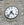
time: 4:36
